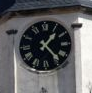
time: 1:23
